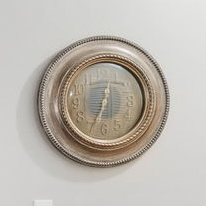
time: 12:33
